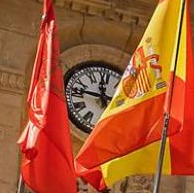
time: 11:46
